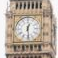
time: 12:28
